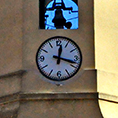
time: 12:17
